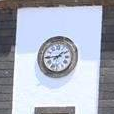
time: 1:44
